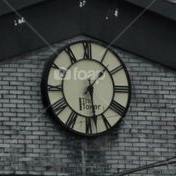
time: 1:28
